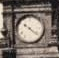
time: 10:21
